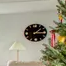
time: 1:16
